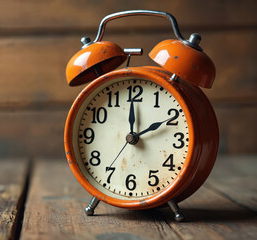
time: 1:59
